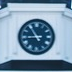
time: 8:54
